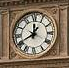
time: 12:40
